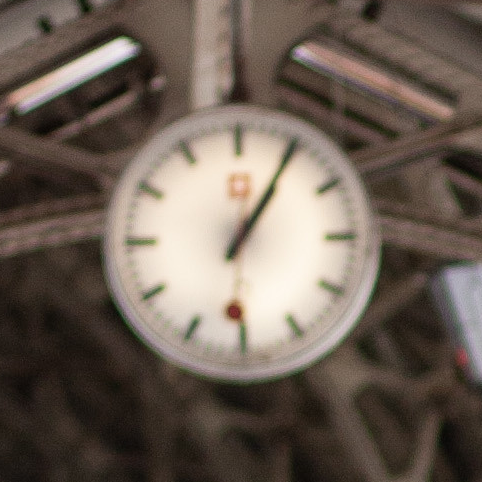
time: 1:05
